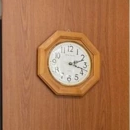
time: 2:17
